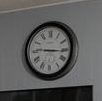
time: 9:15
